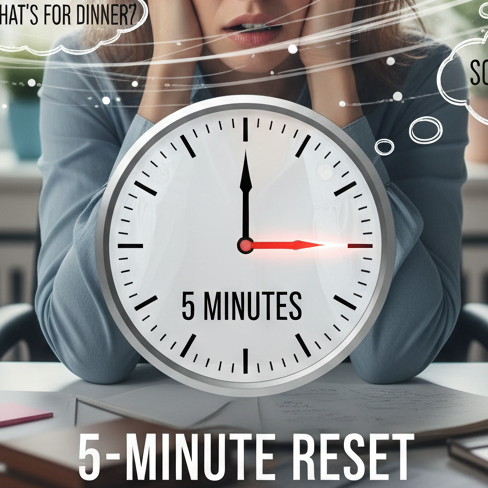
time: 3:00
